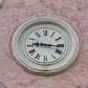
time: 9:16
